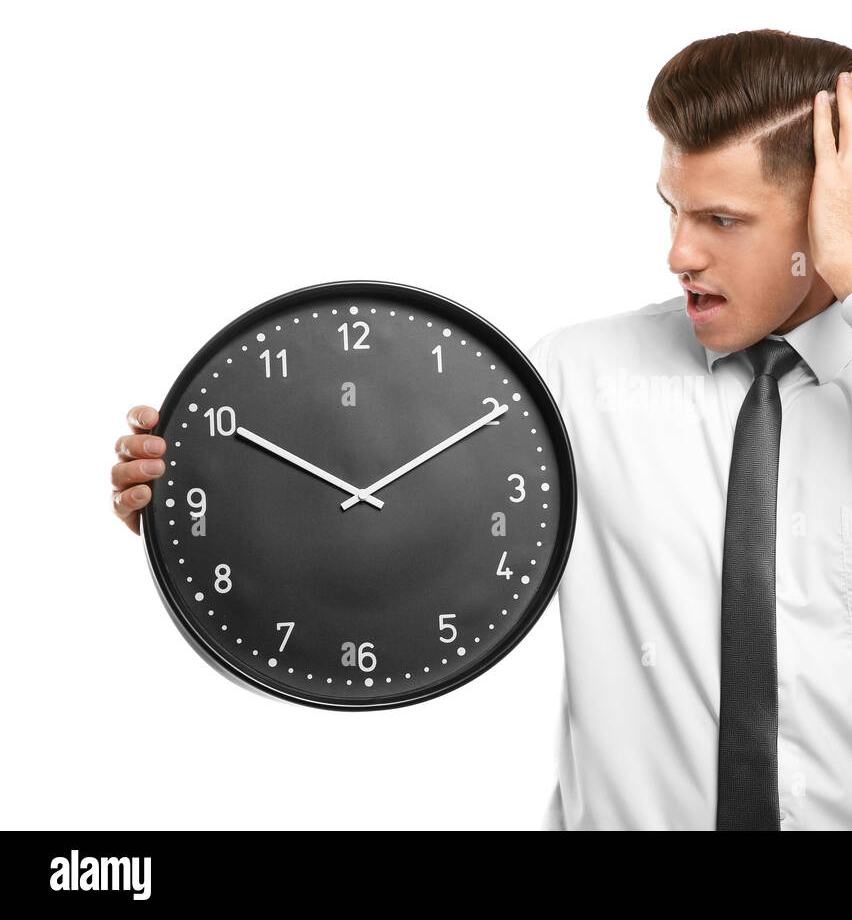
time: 10:10
